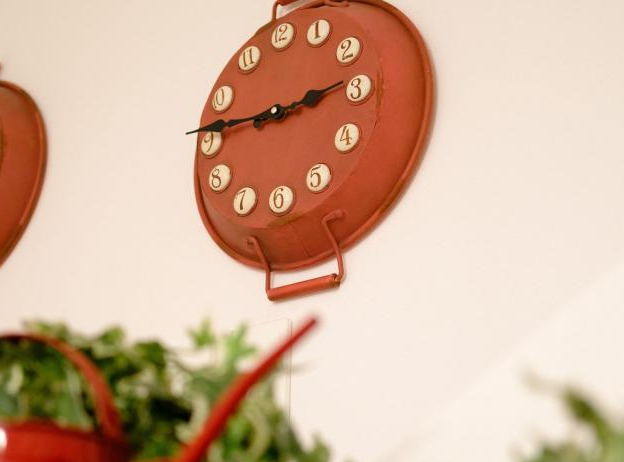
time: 2:46
